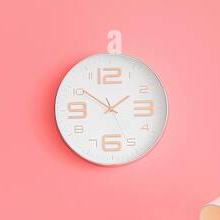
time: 1:50
